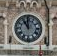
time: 10:59
